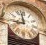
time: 8:57
